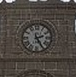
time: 2:24
